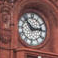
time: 2:52
